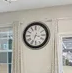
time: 3:33
